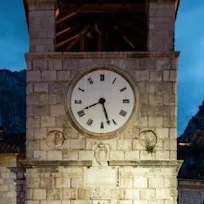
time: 8:27
